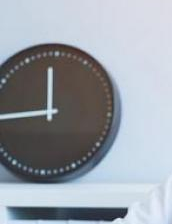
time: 11:43
